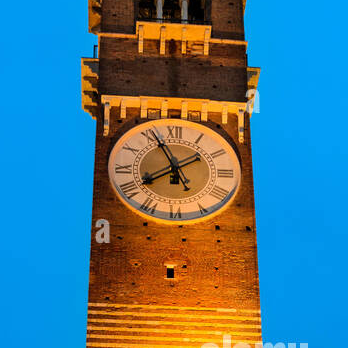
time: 7:55
